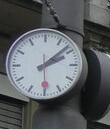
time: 2:08
